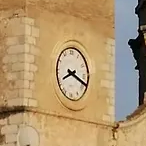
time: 8:18
